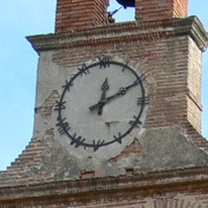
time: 12:10
